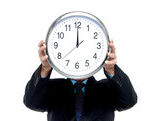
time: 11:59
